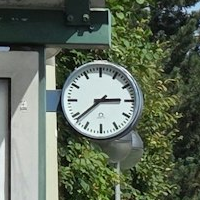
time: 2:38
